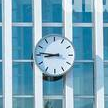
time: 8:46
